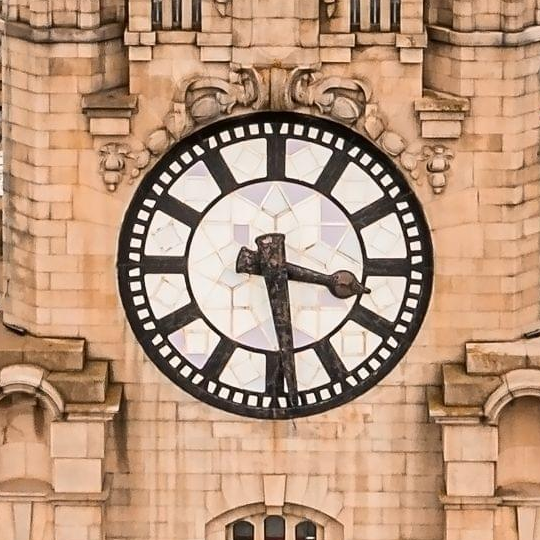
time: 3:28
